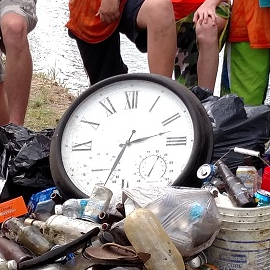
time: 2:33
